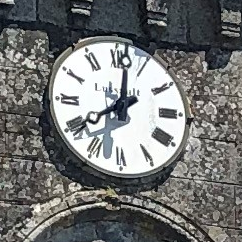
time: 8:01
